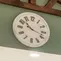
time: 10:17
